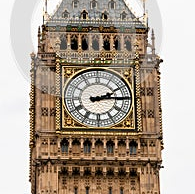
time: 2:14
